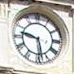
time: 9:28
